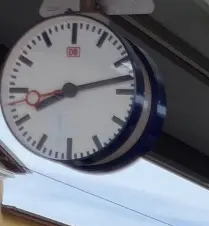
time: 8:12
